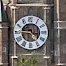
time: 4:45
